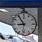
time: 8:54
